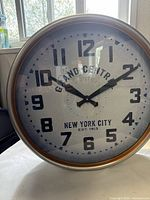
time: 10:10
